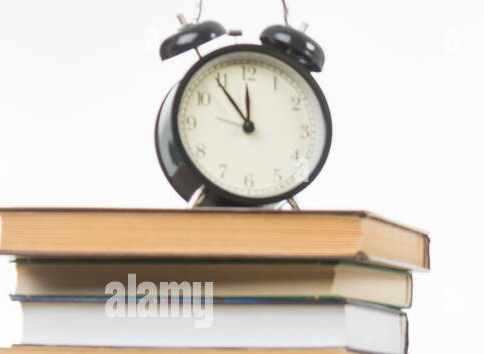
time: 11:54
